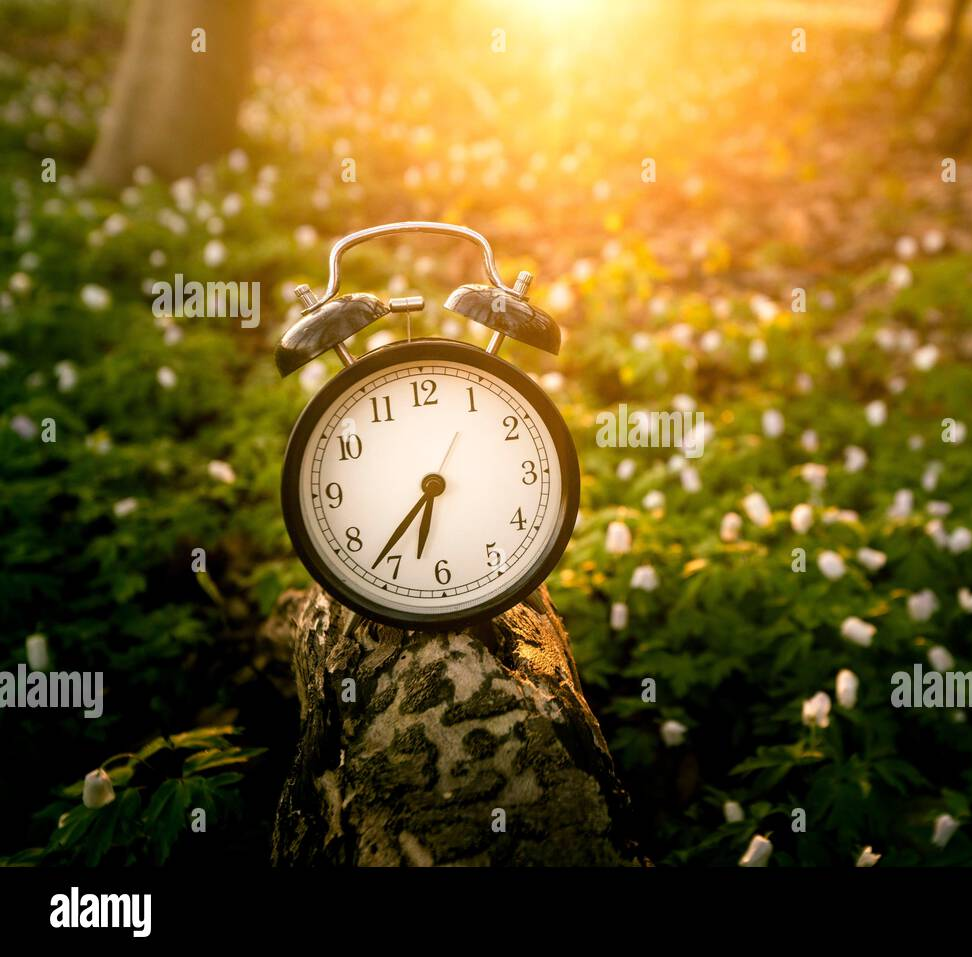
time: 6:36
